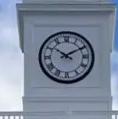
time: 10:10
